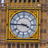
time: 3:45
